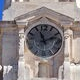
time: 11:12
